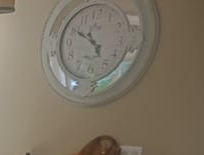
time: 4:49
